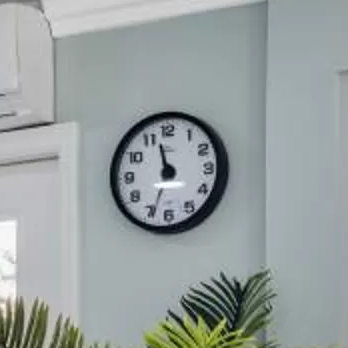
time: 11:33
